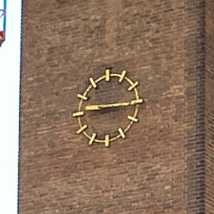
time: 9:15
